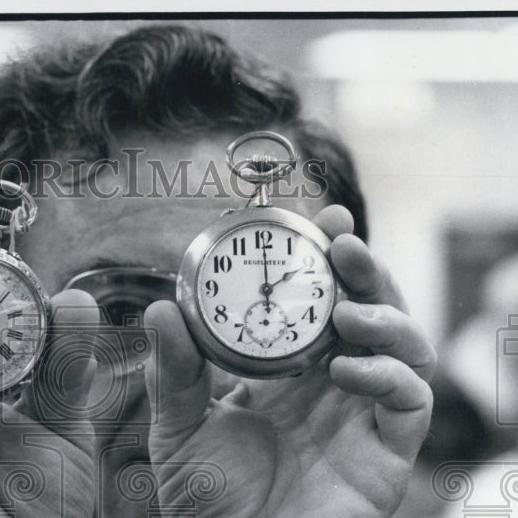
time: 2:00
